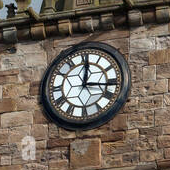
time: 12:16
